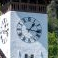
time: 1:16
